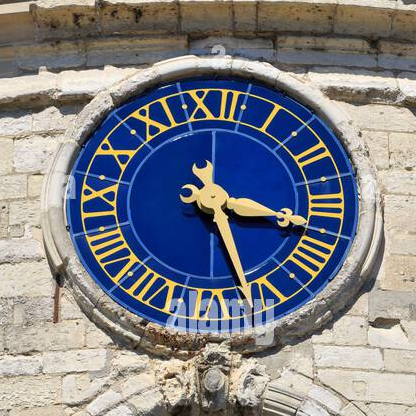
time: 3:26
